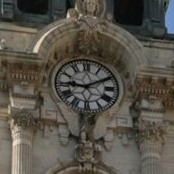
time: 9:10
